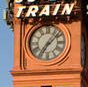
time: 7:07
